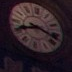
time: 8:17
